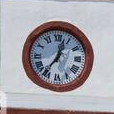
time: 12:36
